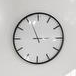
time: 2:56
